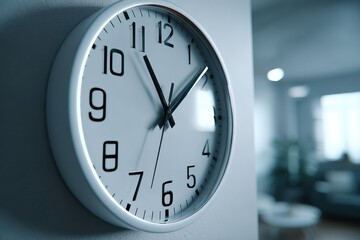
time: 11:08
